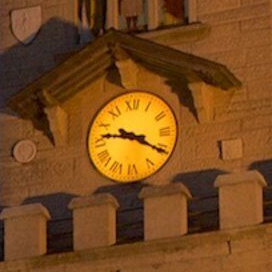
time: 9:20
